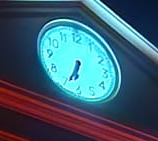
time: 6:34
